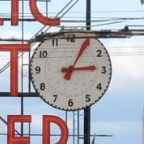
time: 3:04
